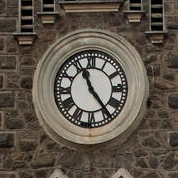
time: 11:23
